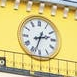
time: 2:33
